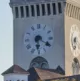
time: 6:19
